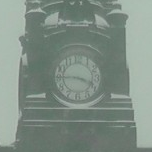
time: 3:45
